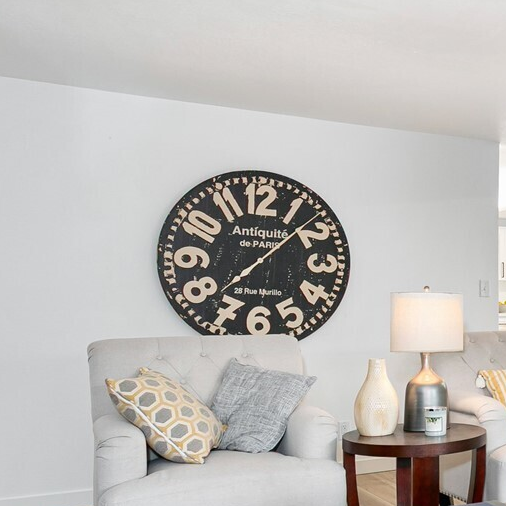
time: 1:37
